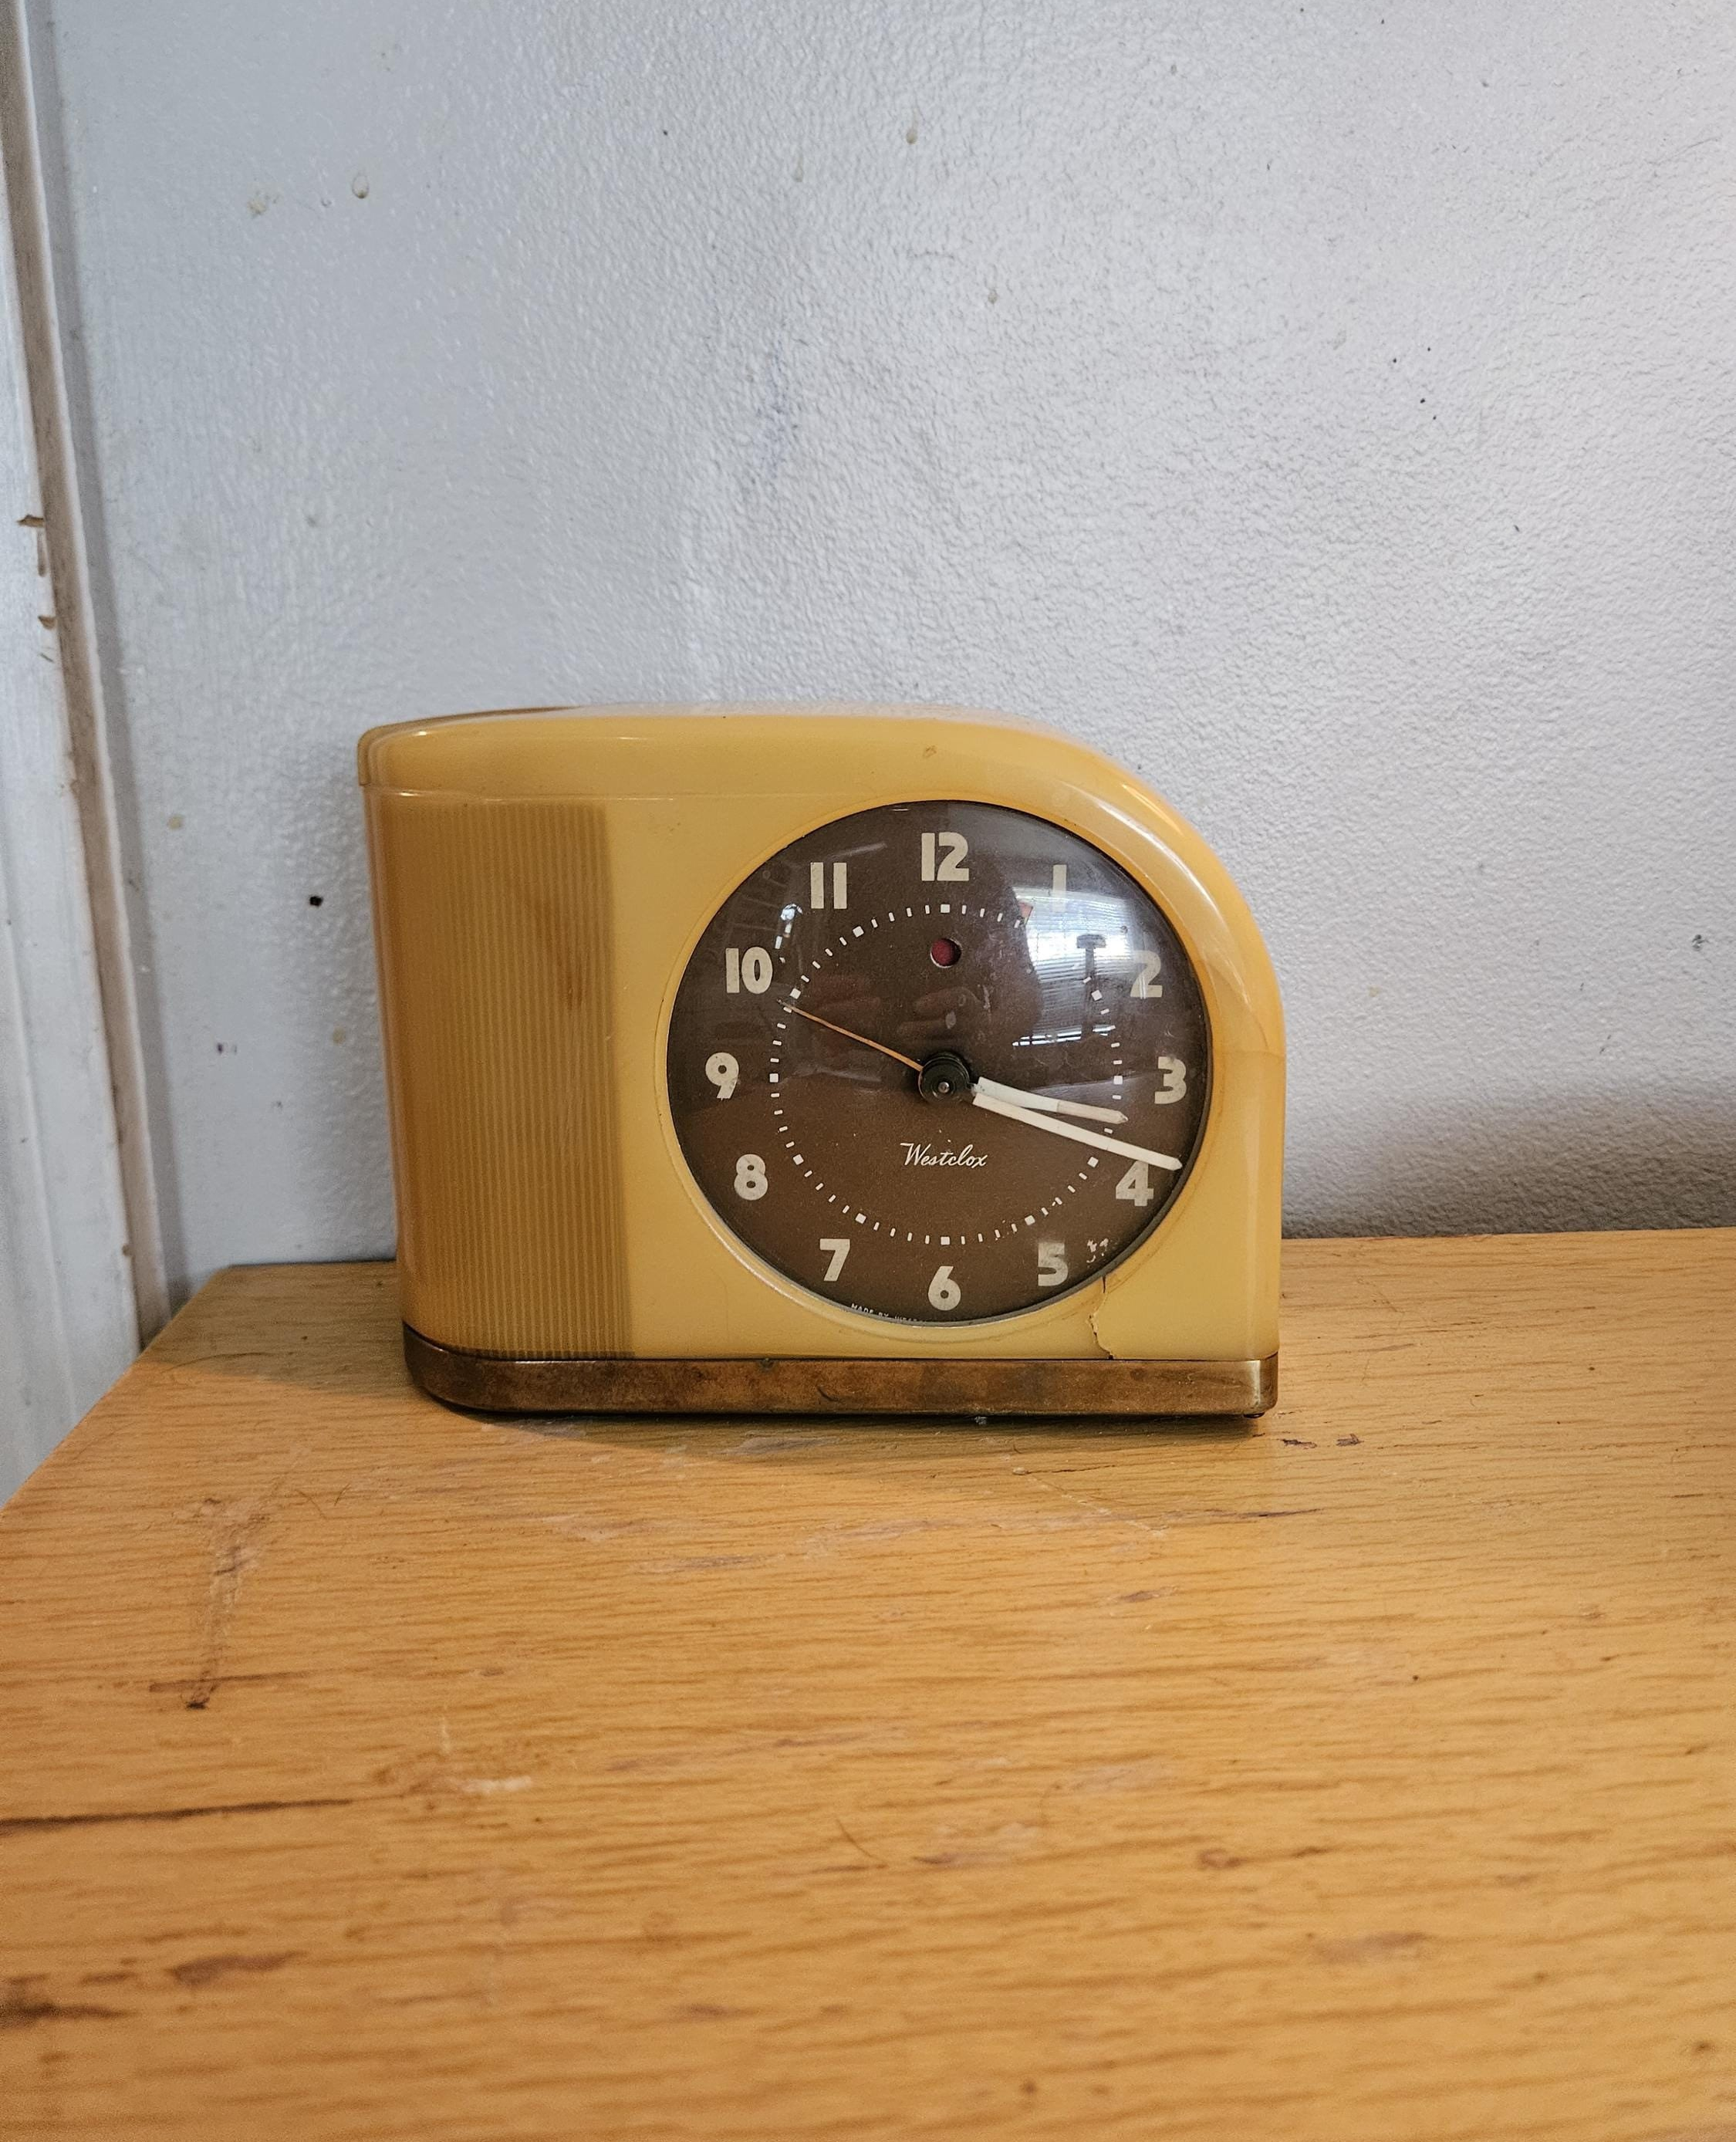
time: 3:18
